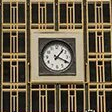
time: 1:18
